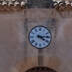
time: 4:14
